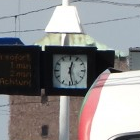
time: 12:28
